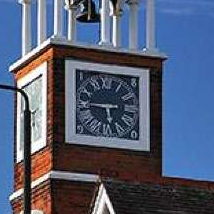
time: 5:45
